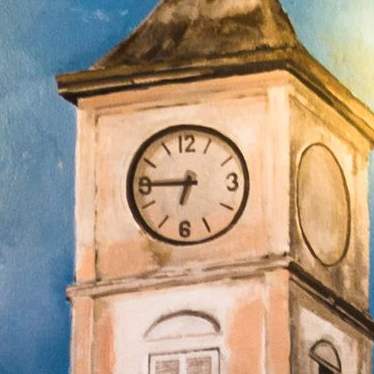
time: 6:44
